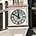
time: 11:50
